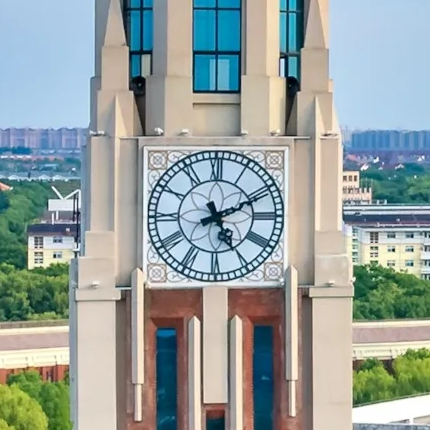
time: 5:10
